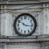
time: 10:17
